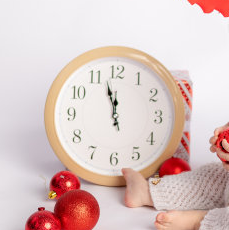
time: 11:57
